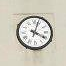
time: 4:03
